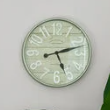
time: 5:12
